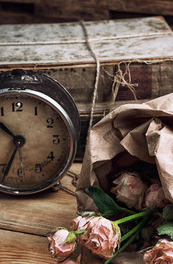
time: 10:34
